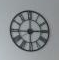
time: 2:59
